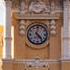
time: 12:23
